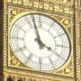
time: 3:57
